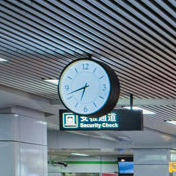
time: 6:42
